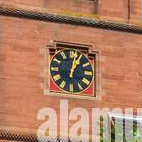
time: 1:02
